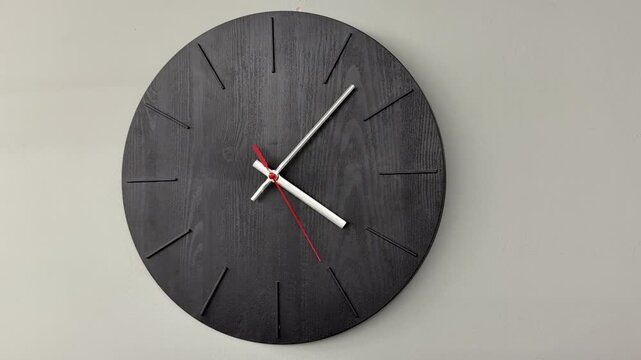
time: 4:07
